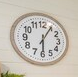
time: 6:05
